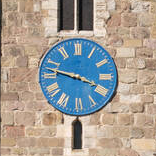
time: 3:47
